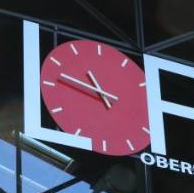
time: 10:47
